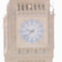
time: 9:38
